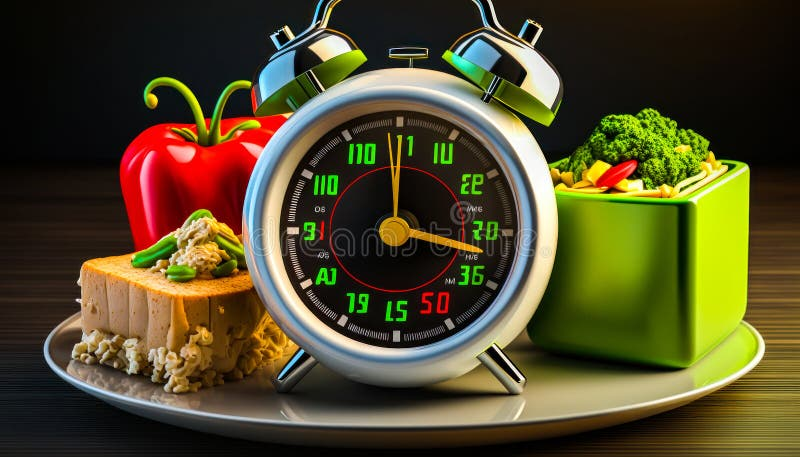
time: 3:17
